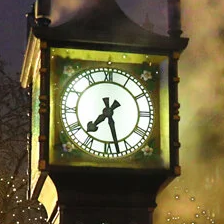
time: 7:27
